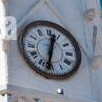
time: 12:32
